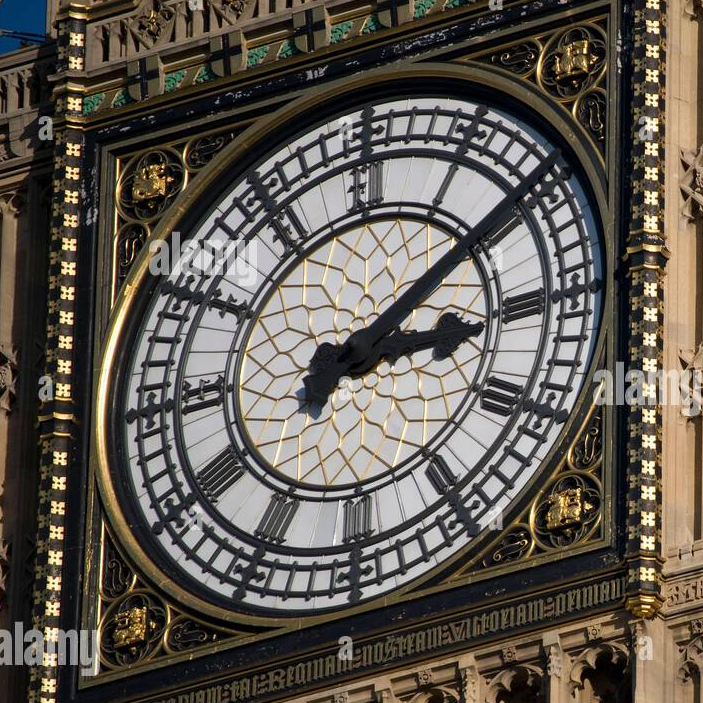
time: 3:09
